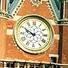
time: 9:50
